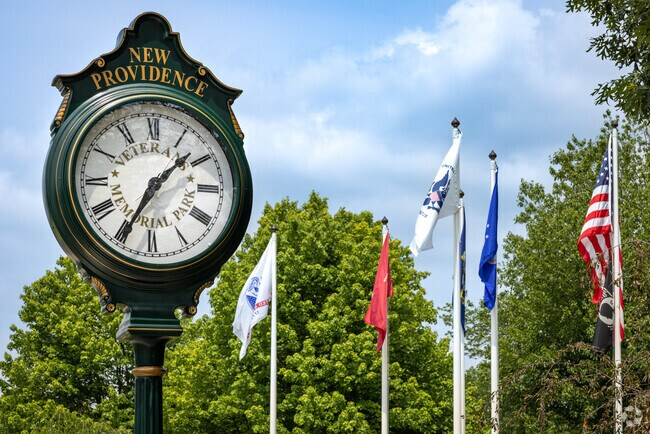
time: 1:35
